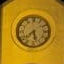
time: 5:38
